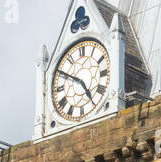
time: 4:50
